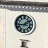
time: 1:43
